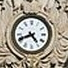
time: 4:41
